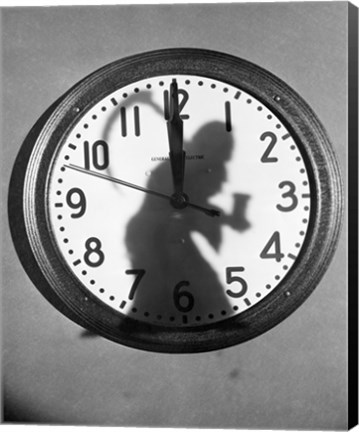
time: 3:59
